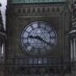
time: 9:20
